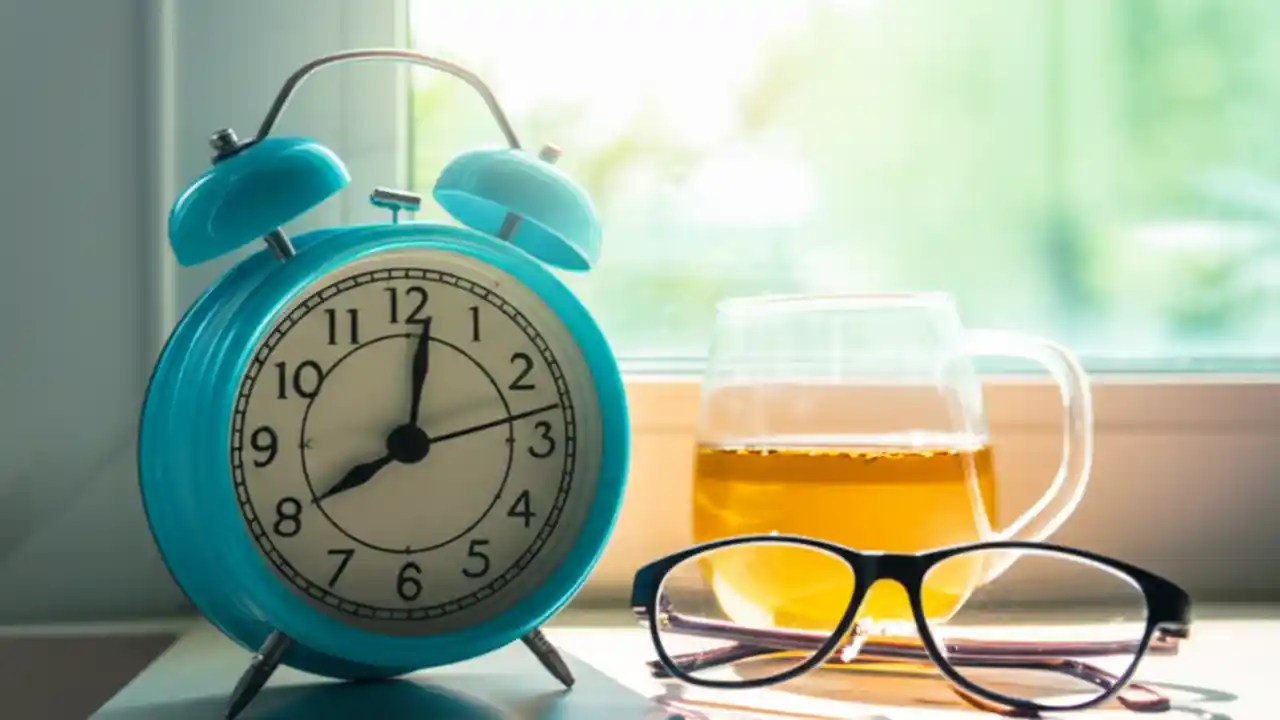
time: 8:01
